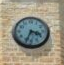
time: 3:33
